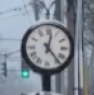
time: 12:23
